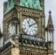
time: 11:09
